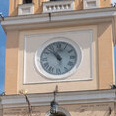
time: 11:53
